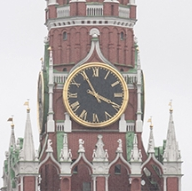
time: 3:55
